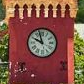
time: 9:57
